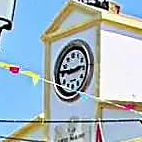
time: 2:46
